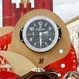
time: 2:29
